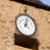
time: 4:02
